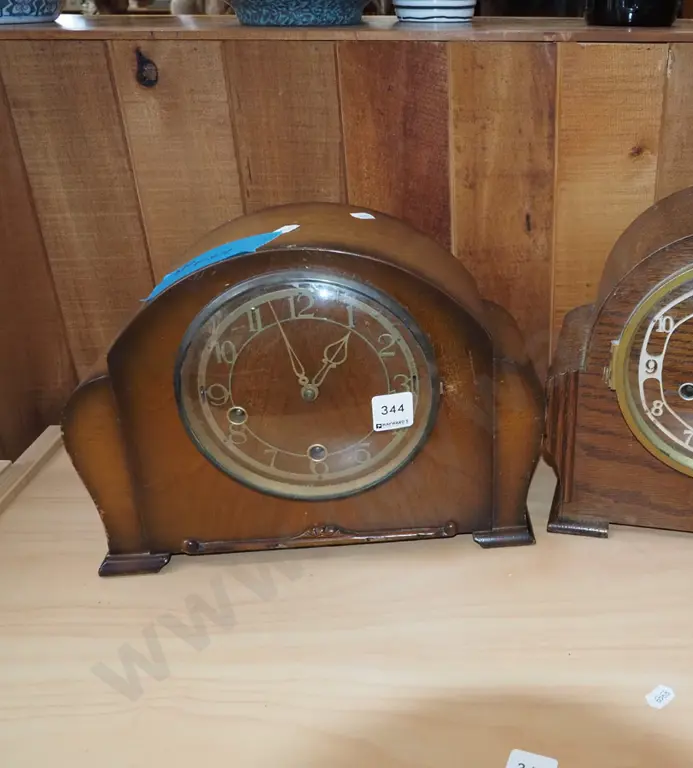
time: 12:57
